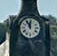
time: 11:55
